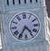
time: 4:35
